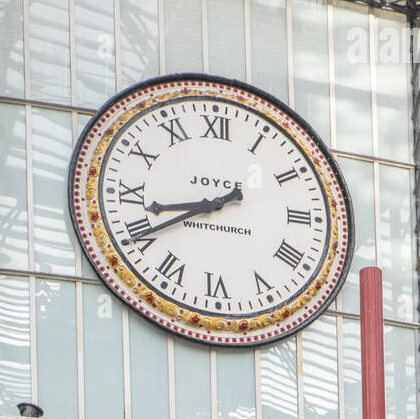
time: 8:40
